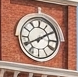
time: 8:09
